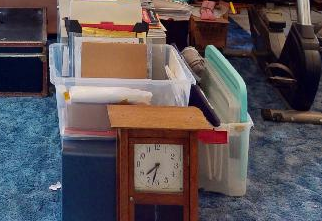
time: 7:32
